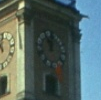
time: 11:55
